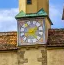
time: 2:23
